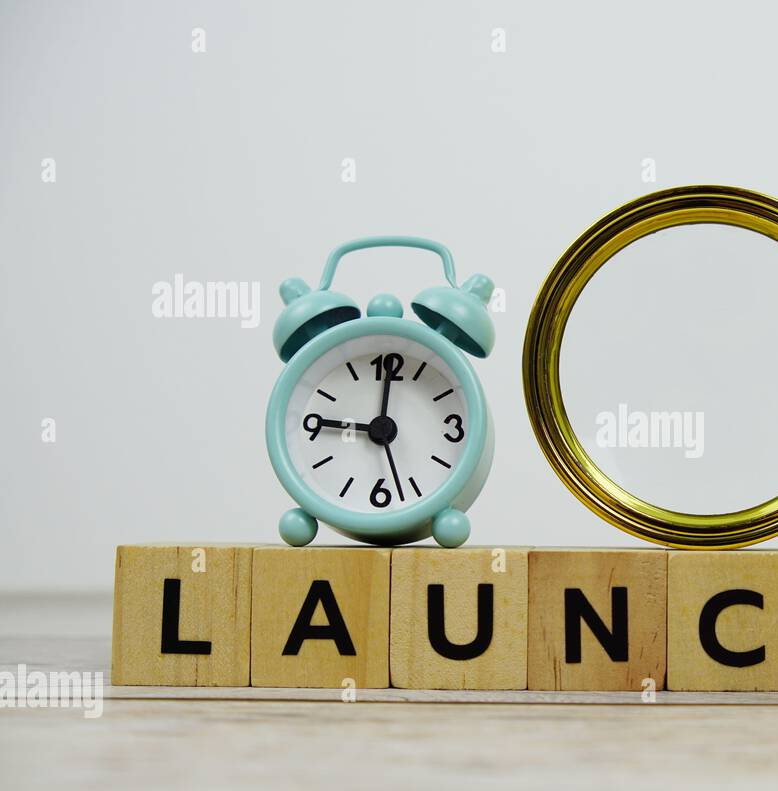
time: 9:01
